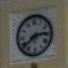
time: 2:38
